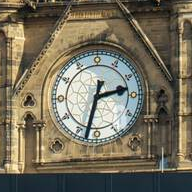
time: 2:32
